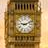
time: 9:11
